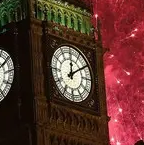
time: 12:09
